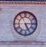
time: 5:14
